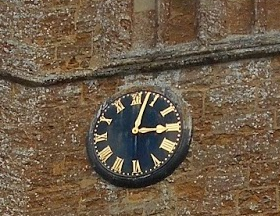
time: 3:03
